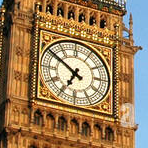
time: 6:50
